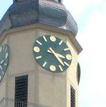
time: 3:22
